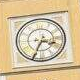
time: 3:34
